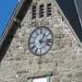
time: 1:16
